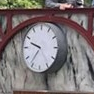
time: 9:36
